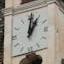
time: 1:01
